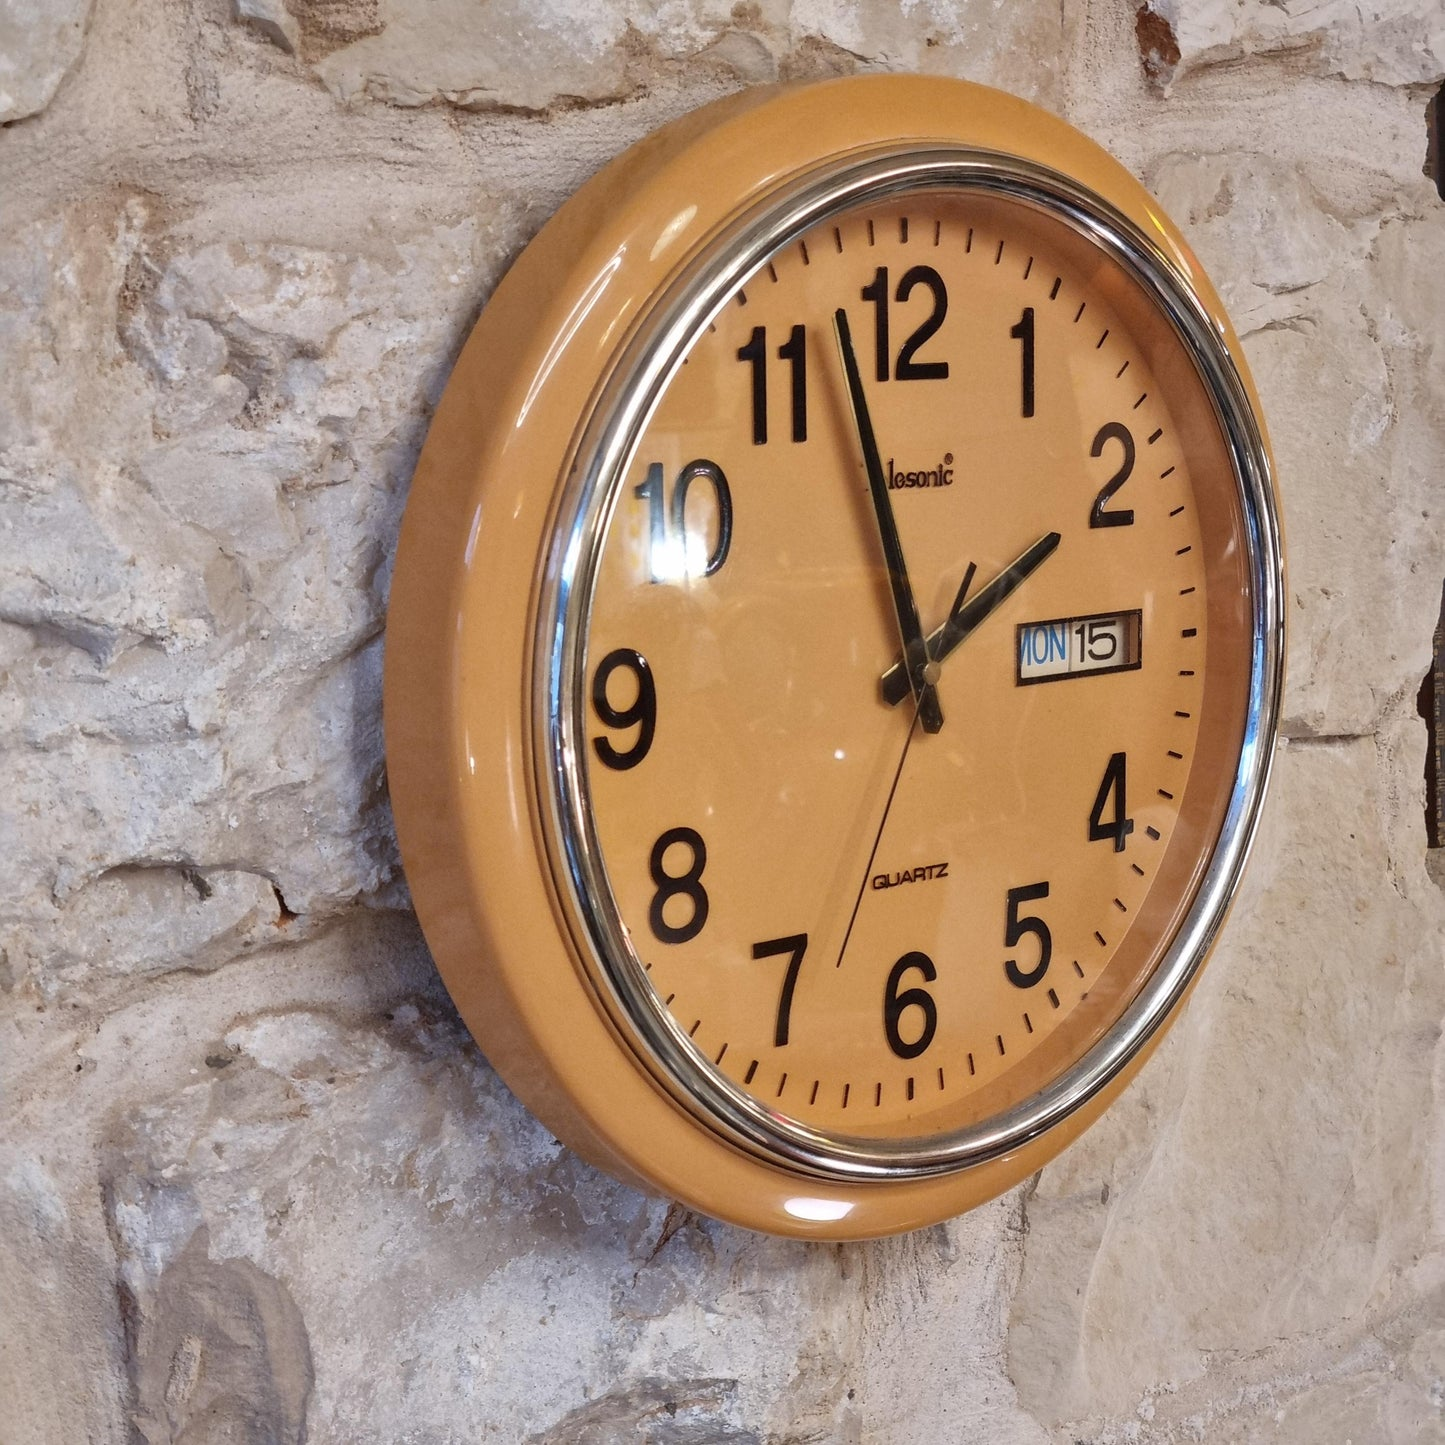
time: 1:57
